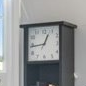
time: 12:44
